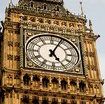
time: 5:04
